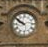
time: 9:50
